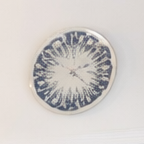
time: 2:21
